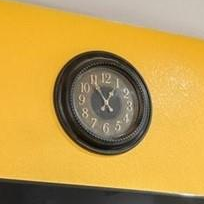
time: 12:54
